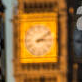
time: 3:09
